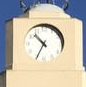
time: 10:34
